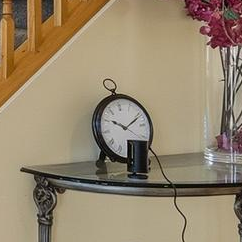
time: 10:11
